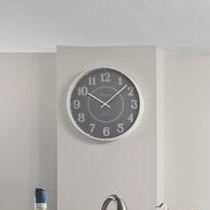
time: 10:07
